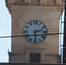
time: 2:29
